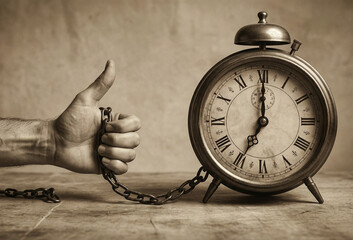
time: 7:00
